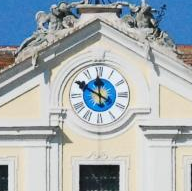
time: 11:49
